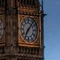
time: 7:07
